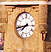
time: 7:42
